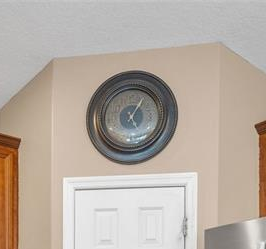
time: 5:05
